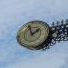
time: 1:56
